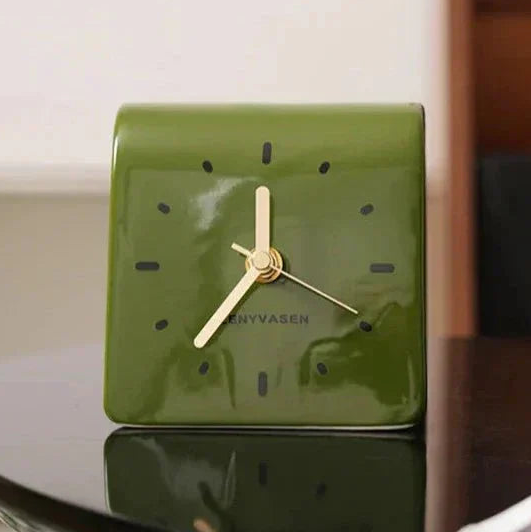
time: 11:36
